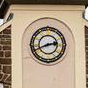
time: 2:41
